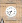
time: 8:33
